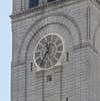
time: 11:35
